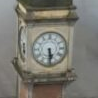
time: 5:29
